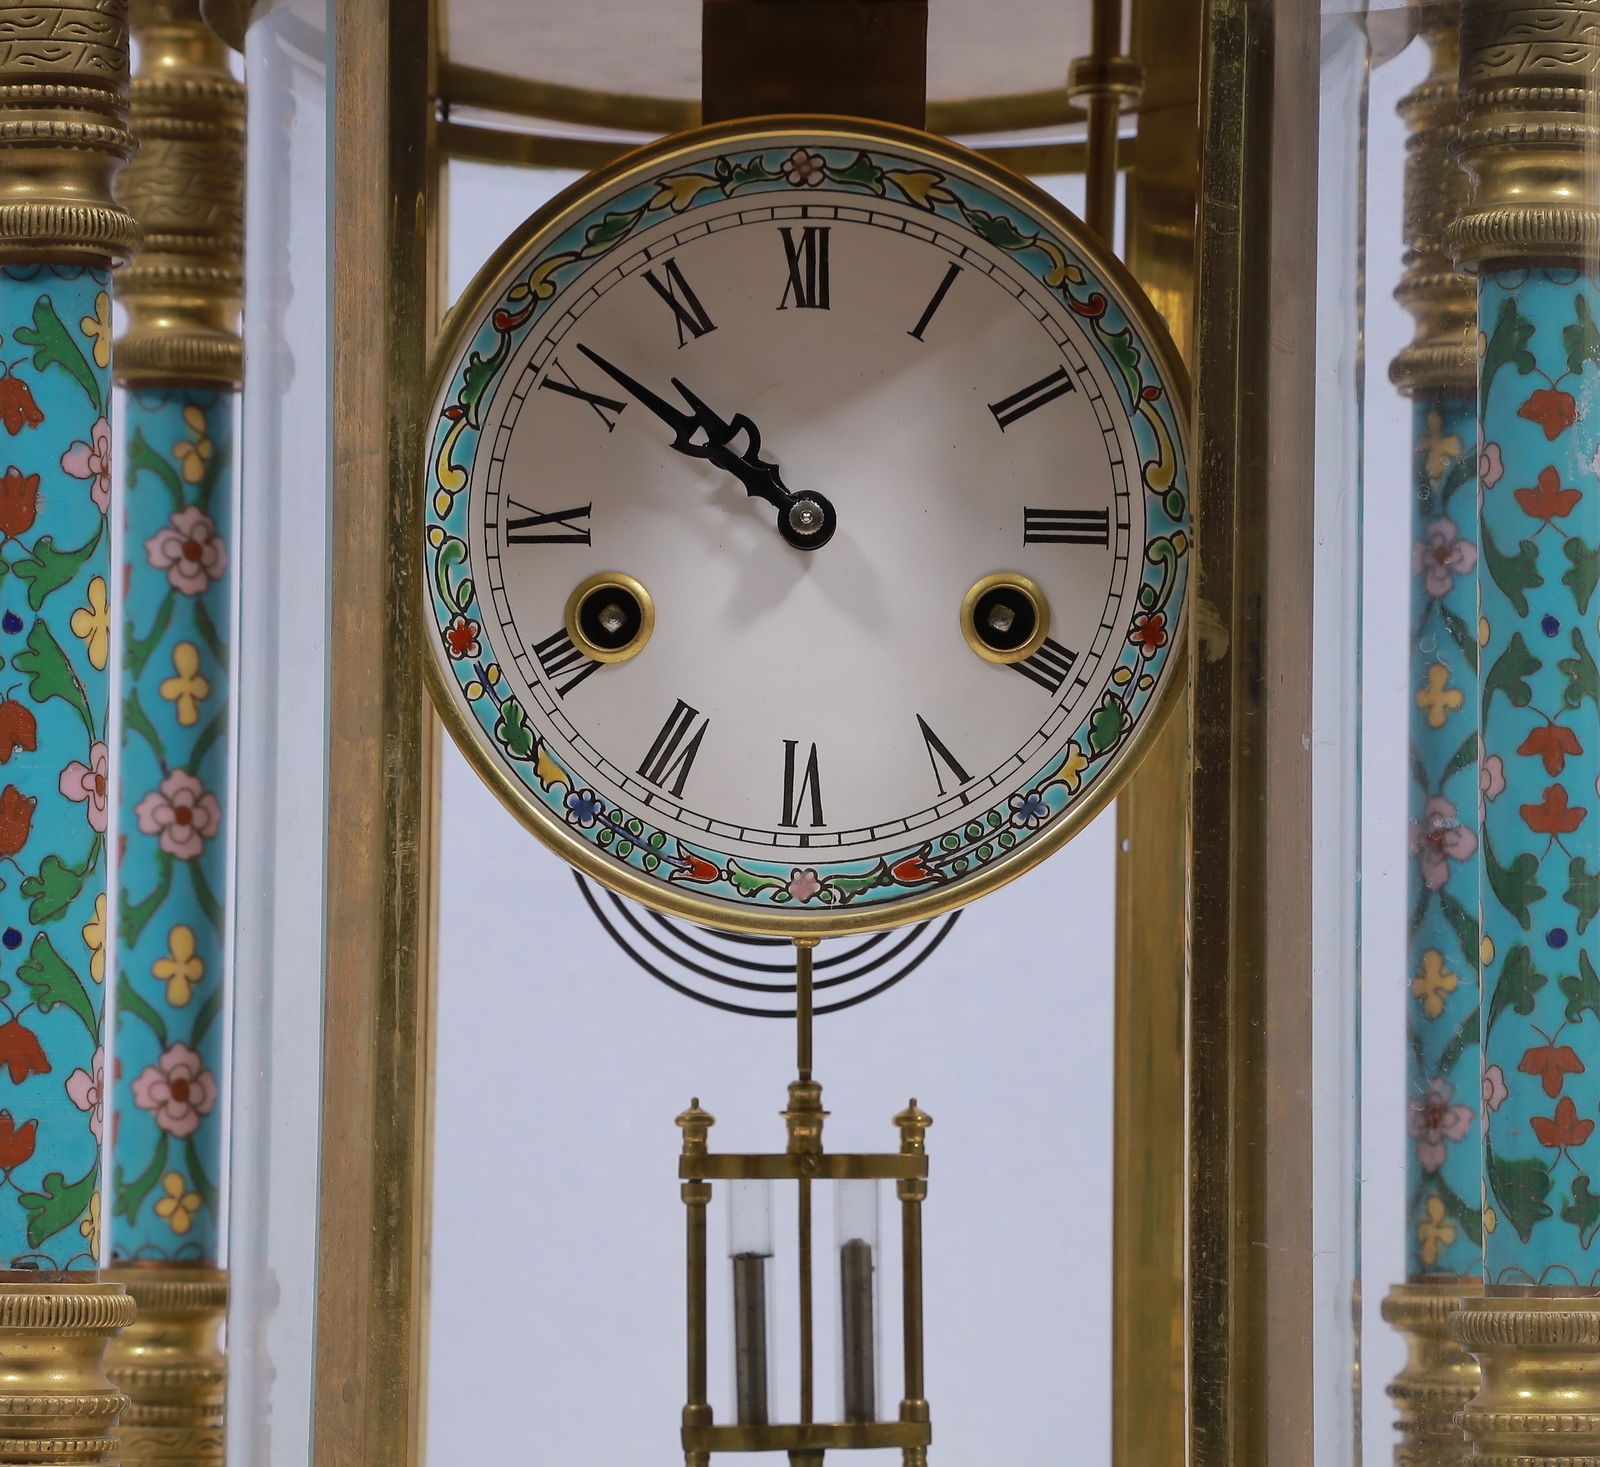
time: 10:51
